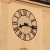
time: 8:16
